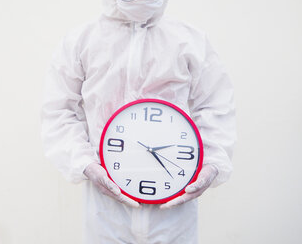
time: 2:22
